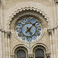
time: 5:07
